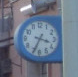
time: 3:34
